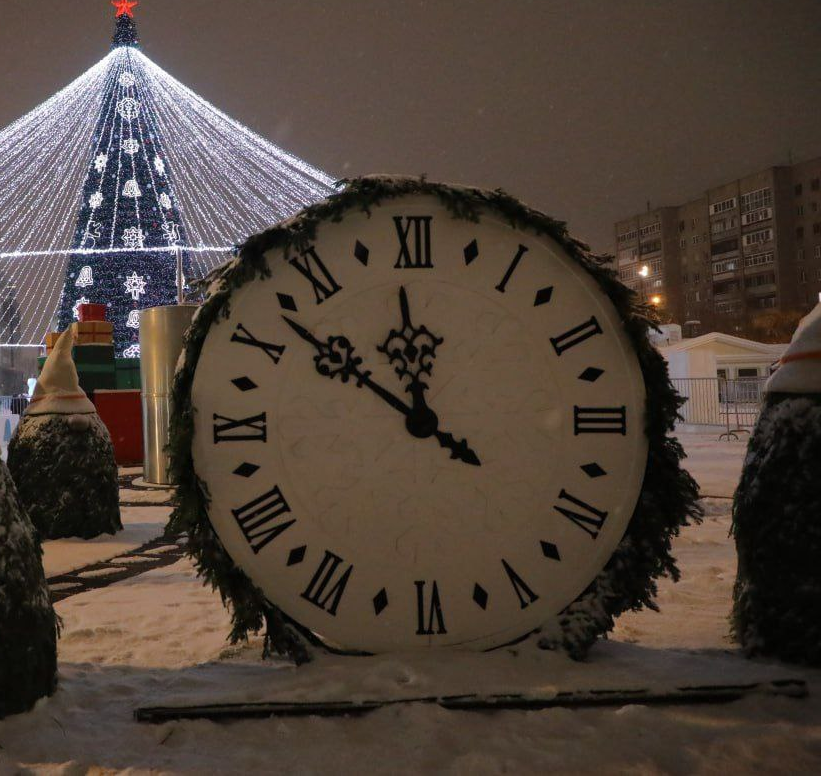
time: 11:51
